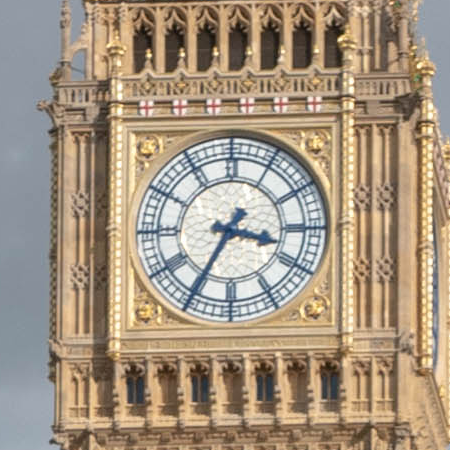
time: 3:34
